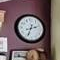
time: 2:33
